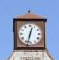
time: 12:32
